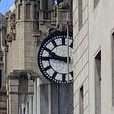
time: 9:45
